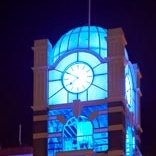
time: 7:48
